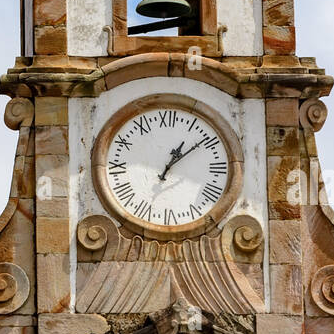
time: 1:08
